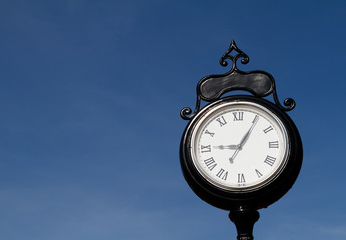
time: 9:05
